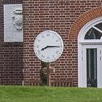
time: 8:15
